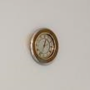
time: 12:33
